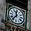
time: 11:36
